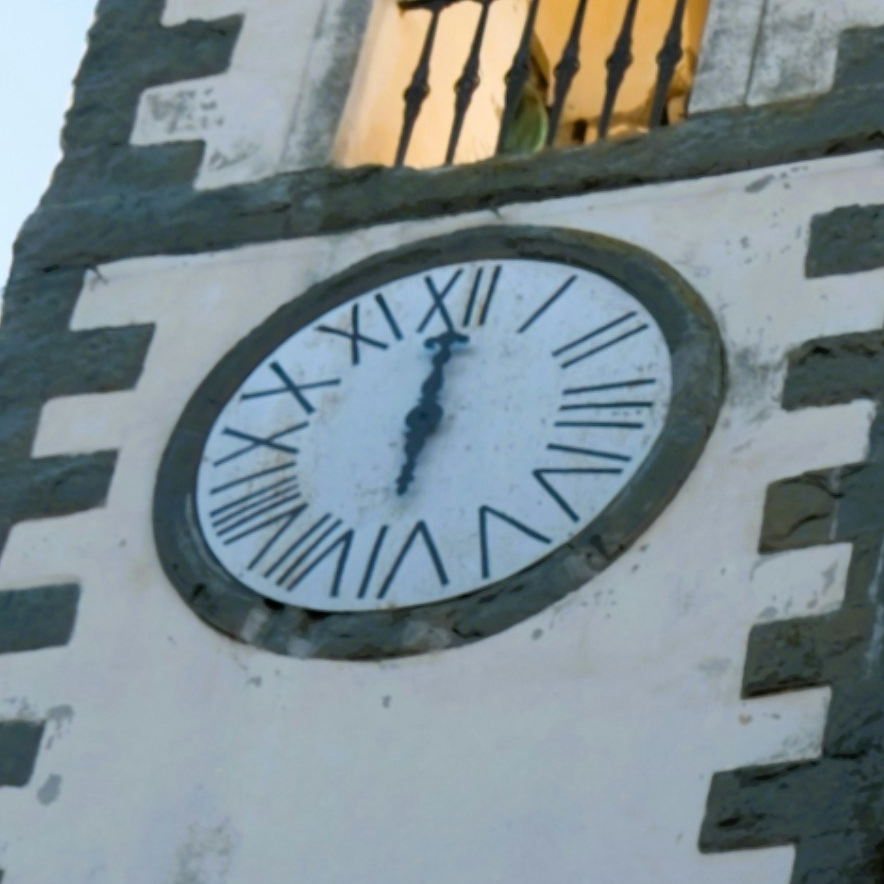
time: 12:00
